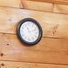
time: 11:11
